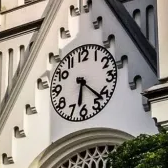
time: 6:22
